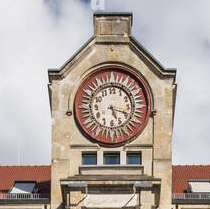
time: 5:17
